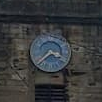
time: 3:37
